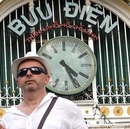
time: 4:26
